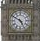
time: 4:50
